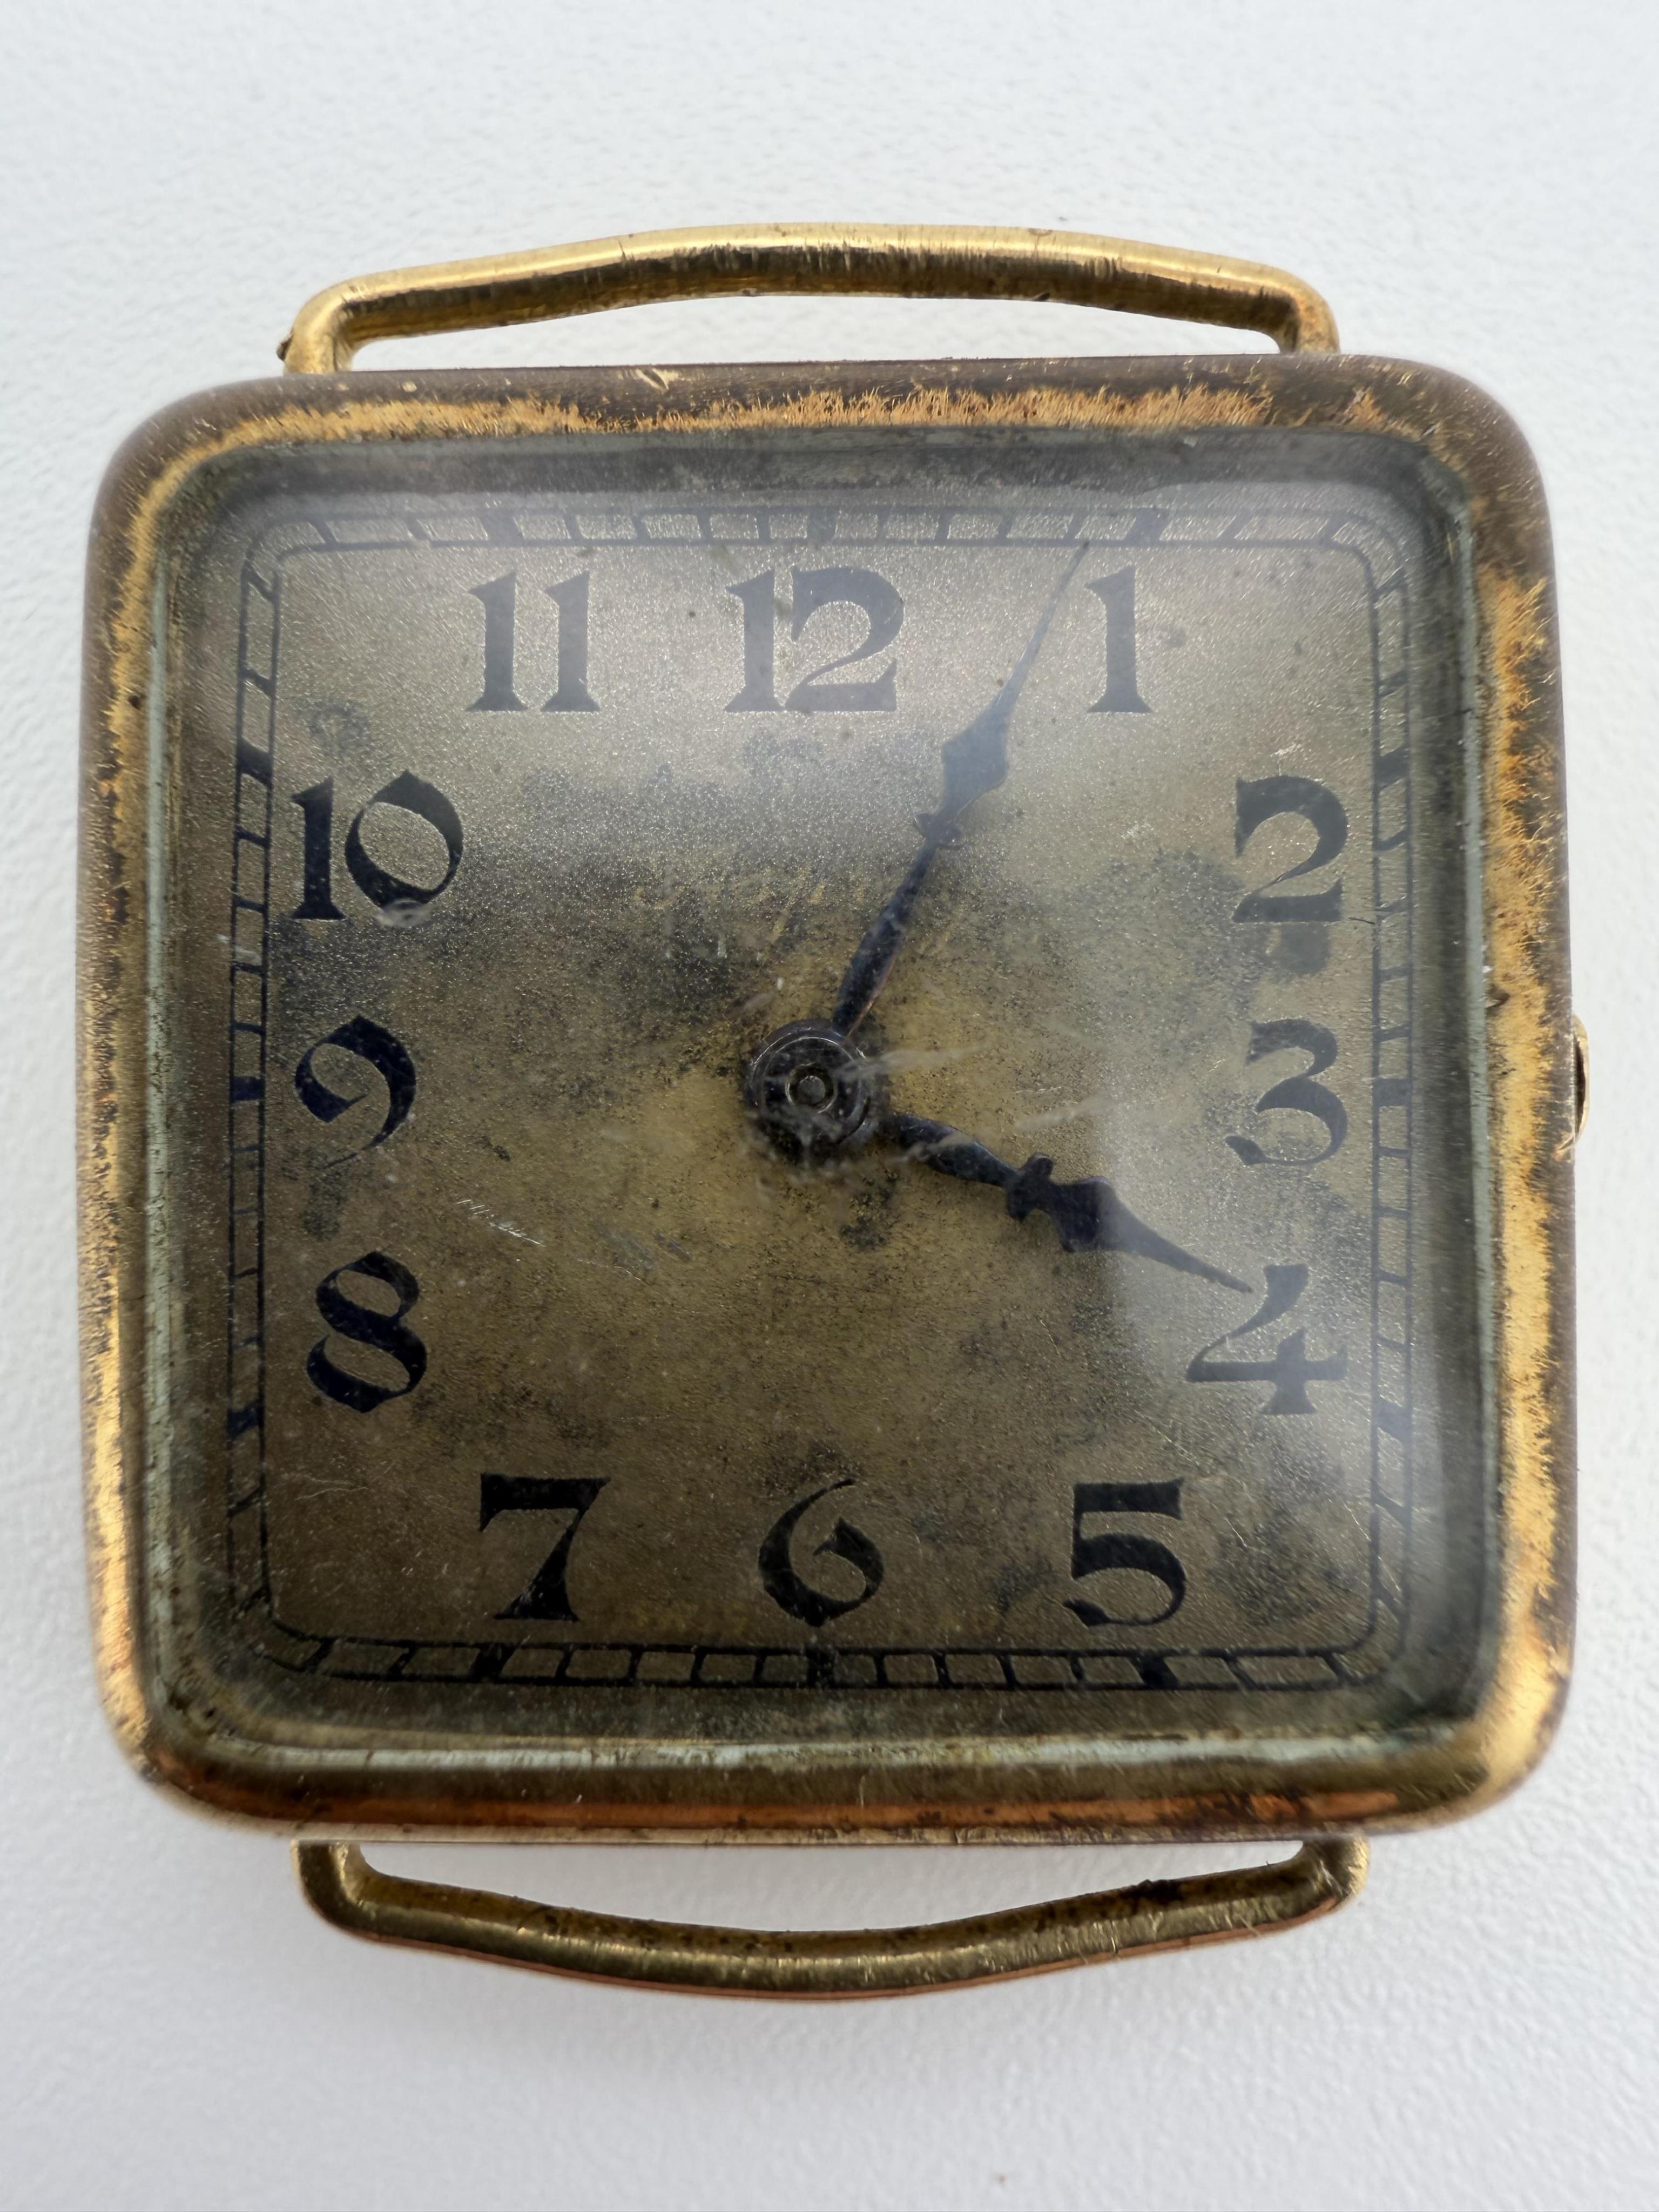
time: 4:04
